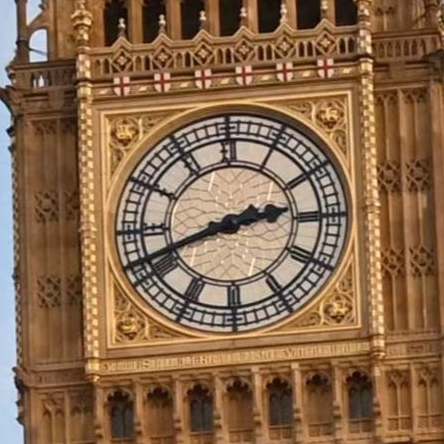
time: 2:41
